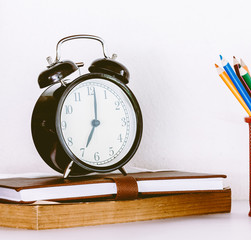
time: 7:01
